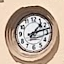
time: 1:12
